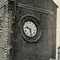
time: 9:28
